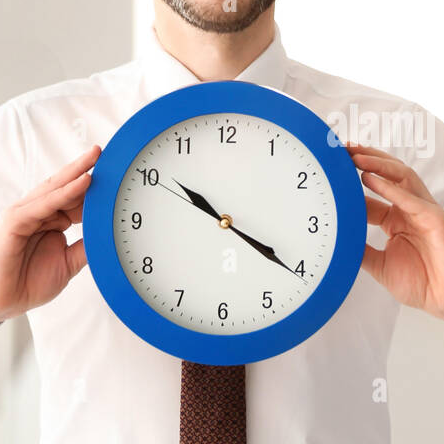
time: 10:20
